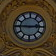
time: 2:45
